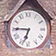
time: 6:45
